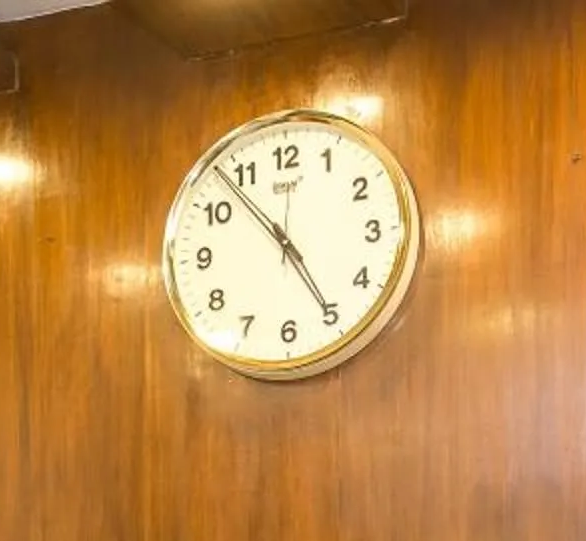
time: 4:53
